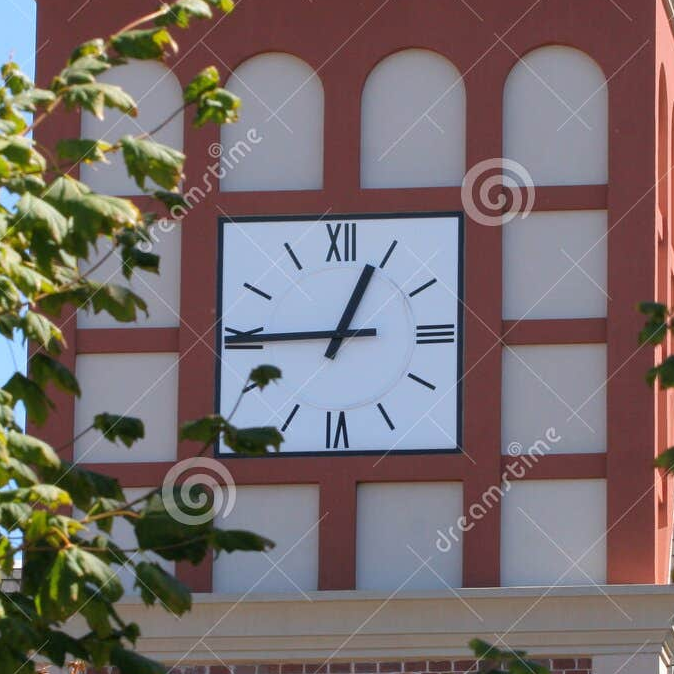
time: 12:44
